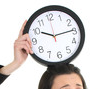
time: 10:14
